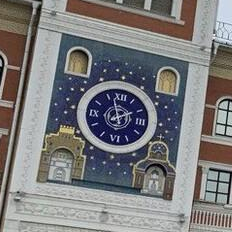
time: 1:57
